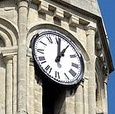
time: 1:00
